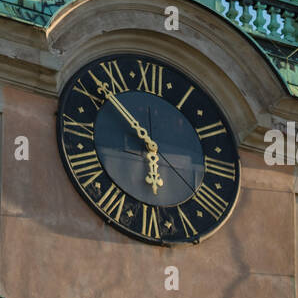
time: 5:51
